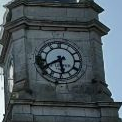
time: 5:40
